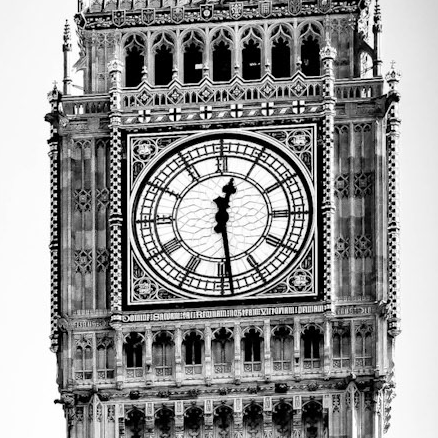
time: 12:28
